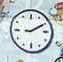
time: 9:10
